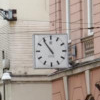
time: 10:54
